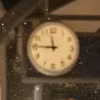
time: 11:45
